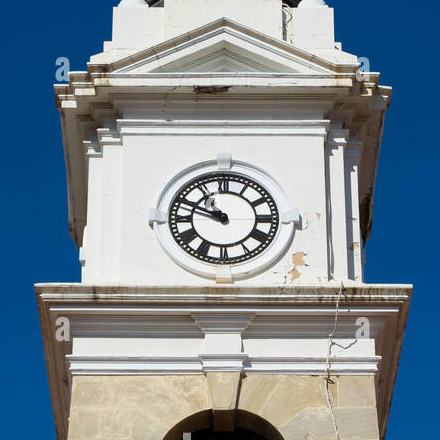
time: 10:48
